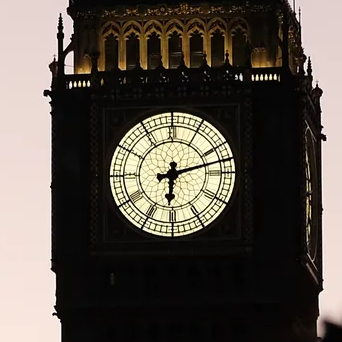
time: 6:12
